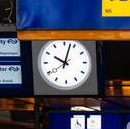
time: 10:02
